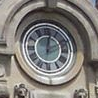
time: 2:01
